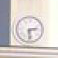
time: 2:29
